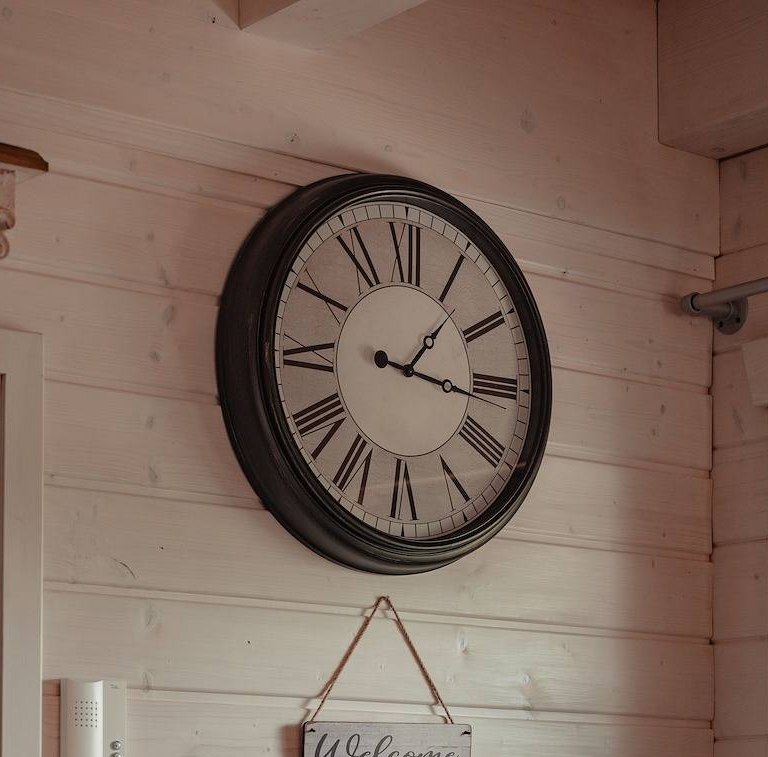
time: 1:16
